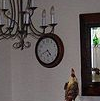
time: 4:41
